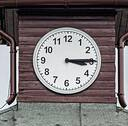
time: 3:14
